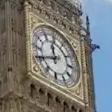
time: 11:40
